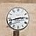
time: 2:42
